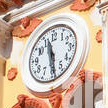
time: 11:28
